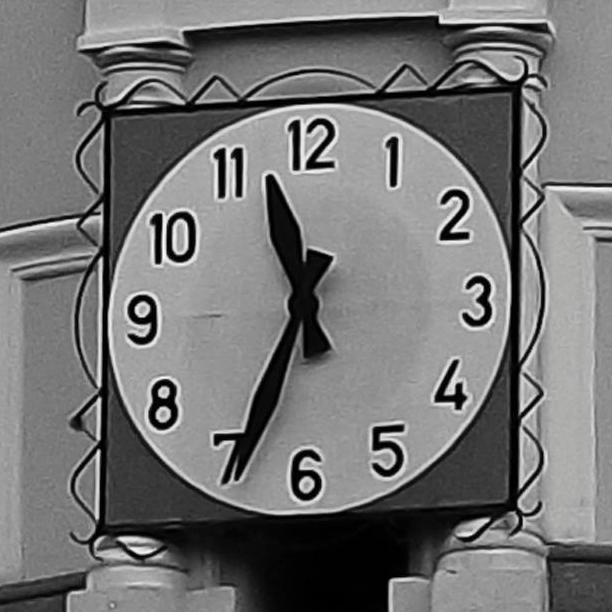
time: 11:34
